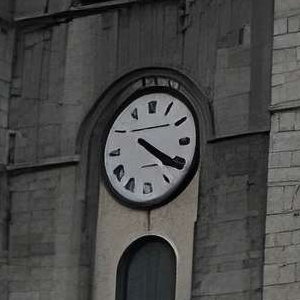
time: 4:20
